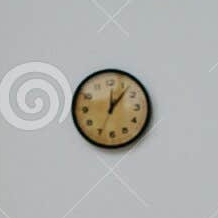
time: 12:06
